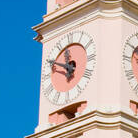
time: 11:49
